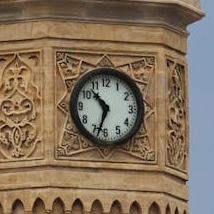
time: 10:33
